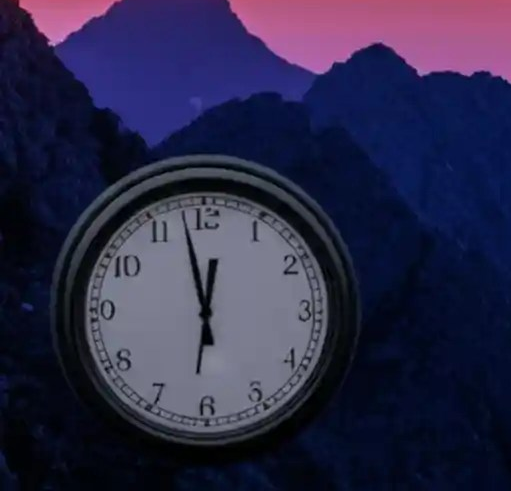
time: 11:57
